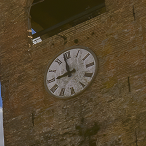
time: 8:58
